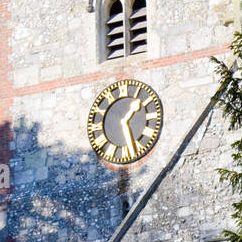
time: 1:26
